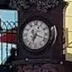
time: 7:18
